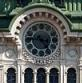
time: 3:23
